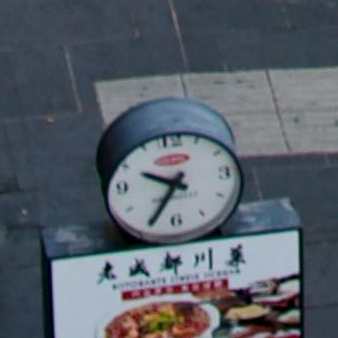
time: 9:34
